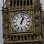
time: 1:02
